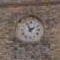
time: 1:56
